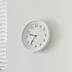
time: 9:36
